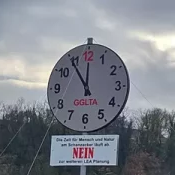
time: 11:54
